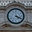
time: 4:19
